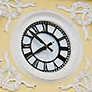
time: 7:51
